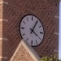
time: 4:04
